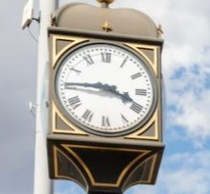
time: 3:45
